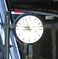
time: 8:56
